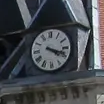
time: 4:18
